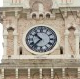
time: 10:37
